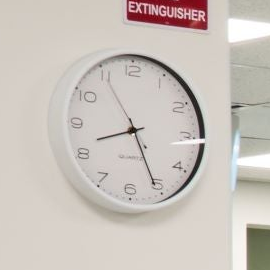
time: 8:25
